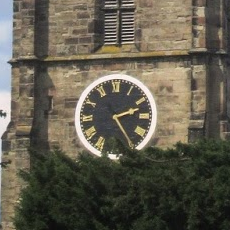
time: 2:24
